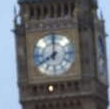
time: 7:59
